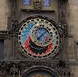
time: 1:37
